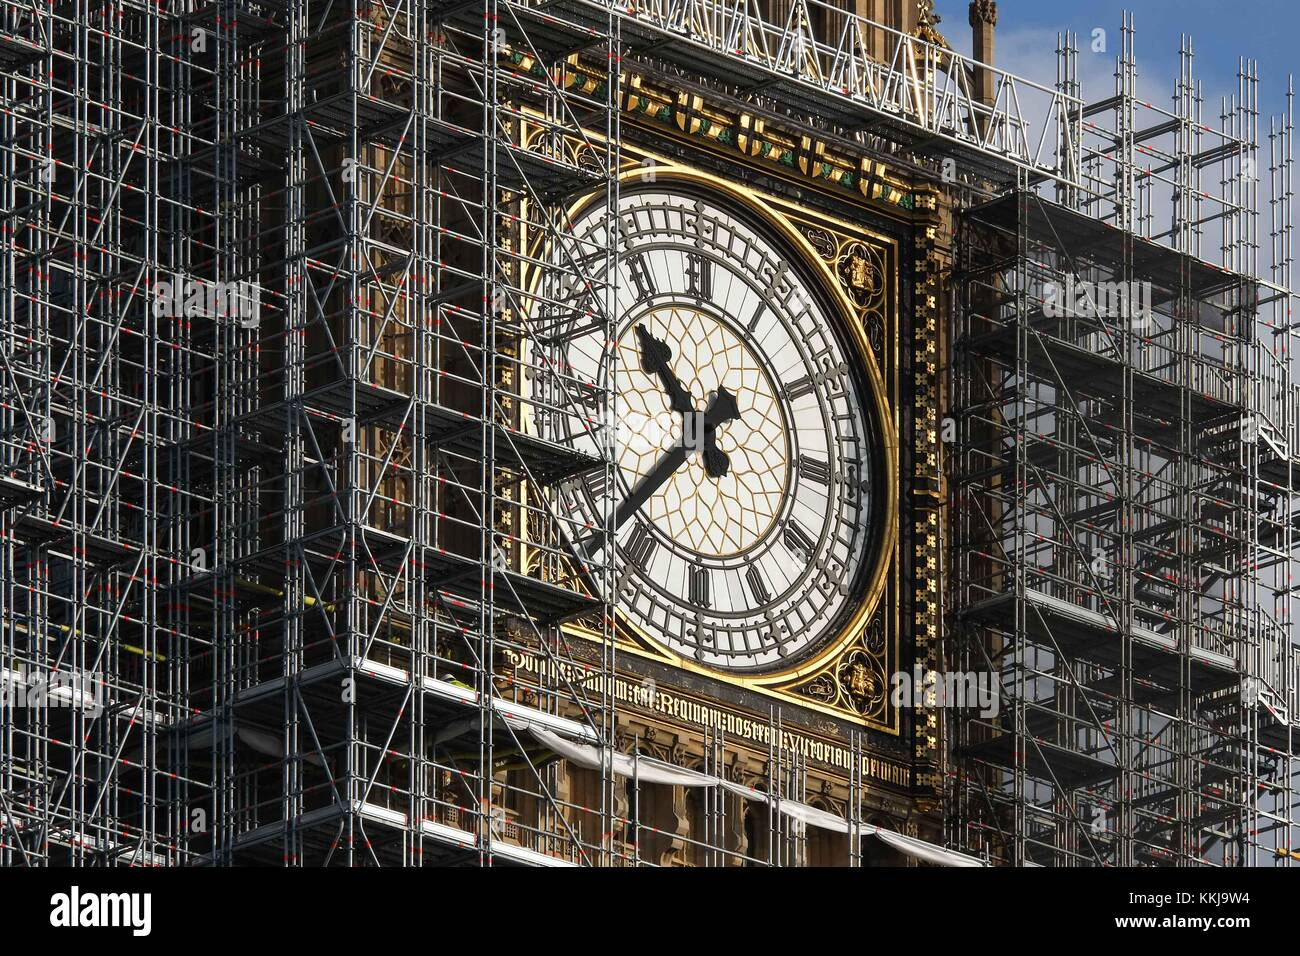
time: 10:37
